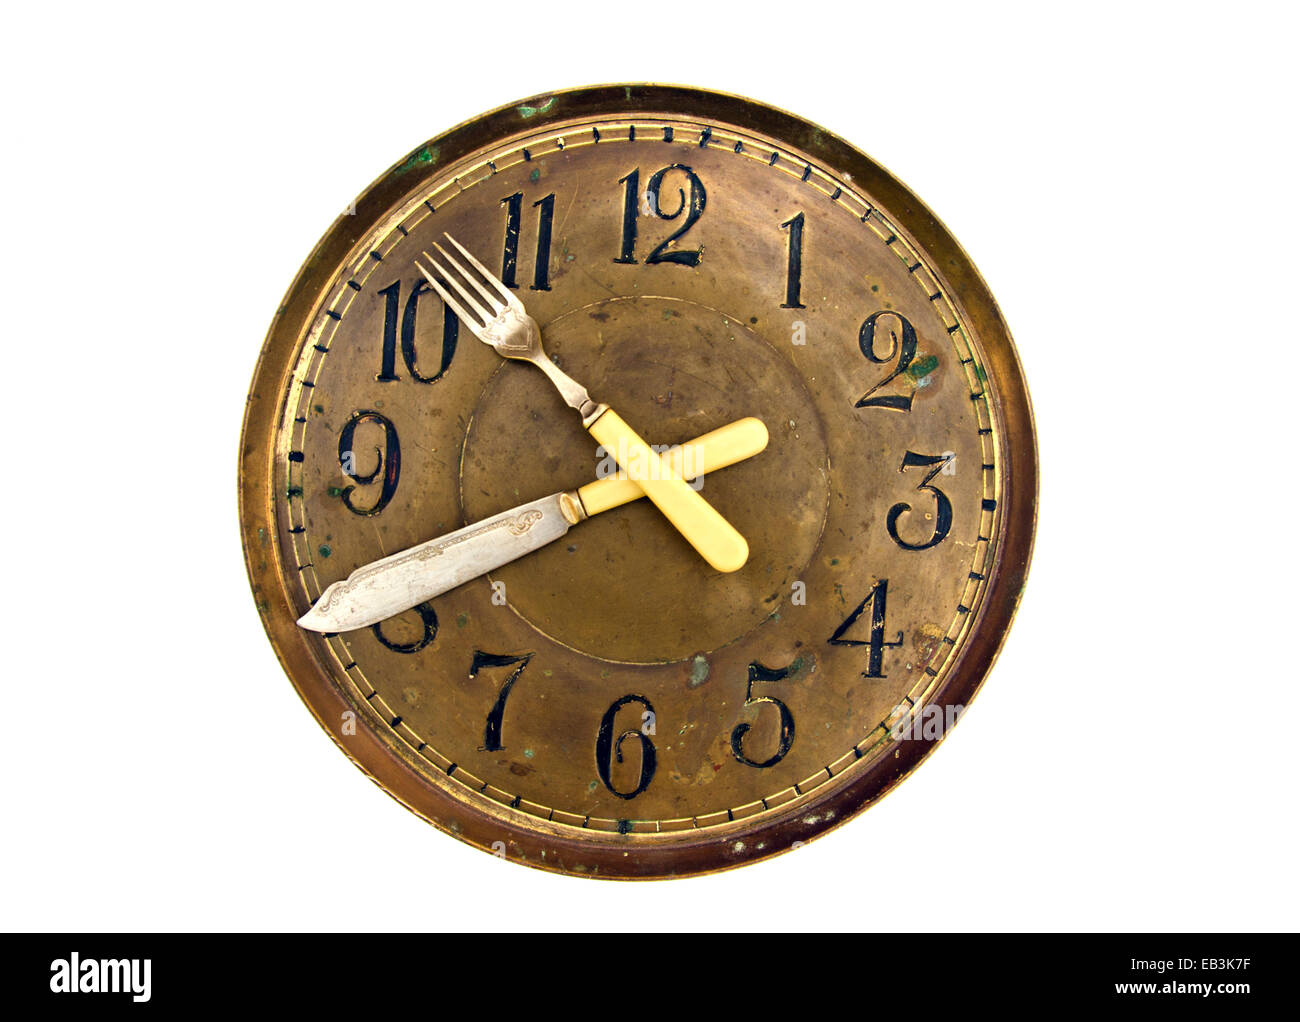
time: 10:40
